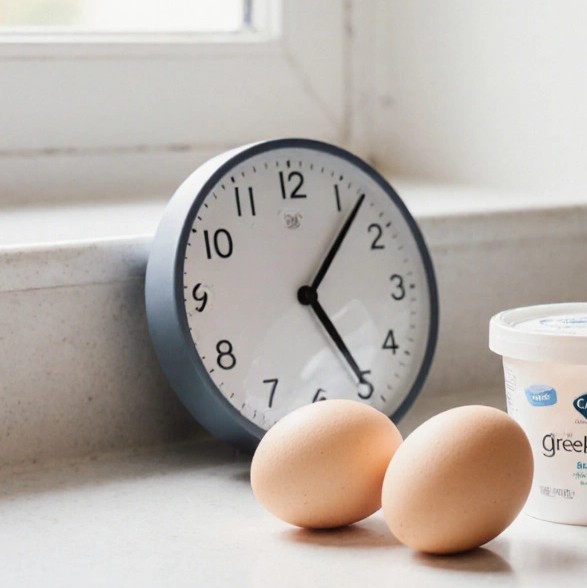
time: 5:06
